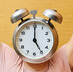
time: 5:00
